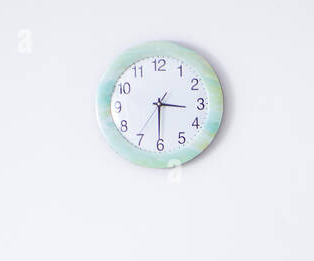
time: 3:30
